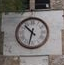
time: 10:32
